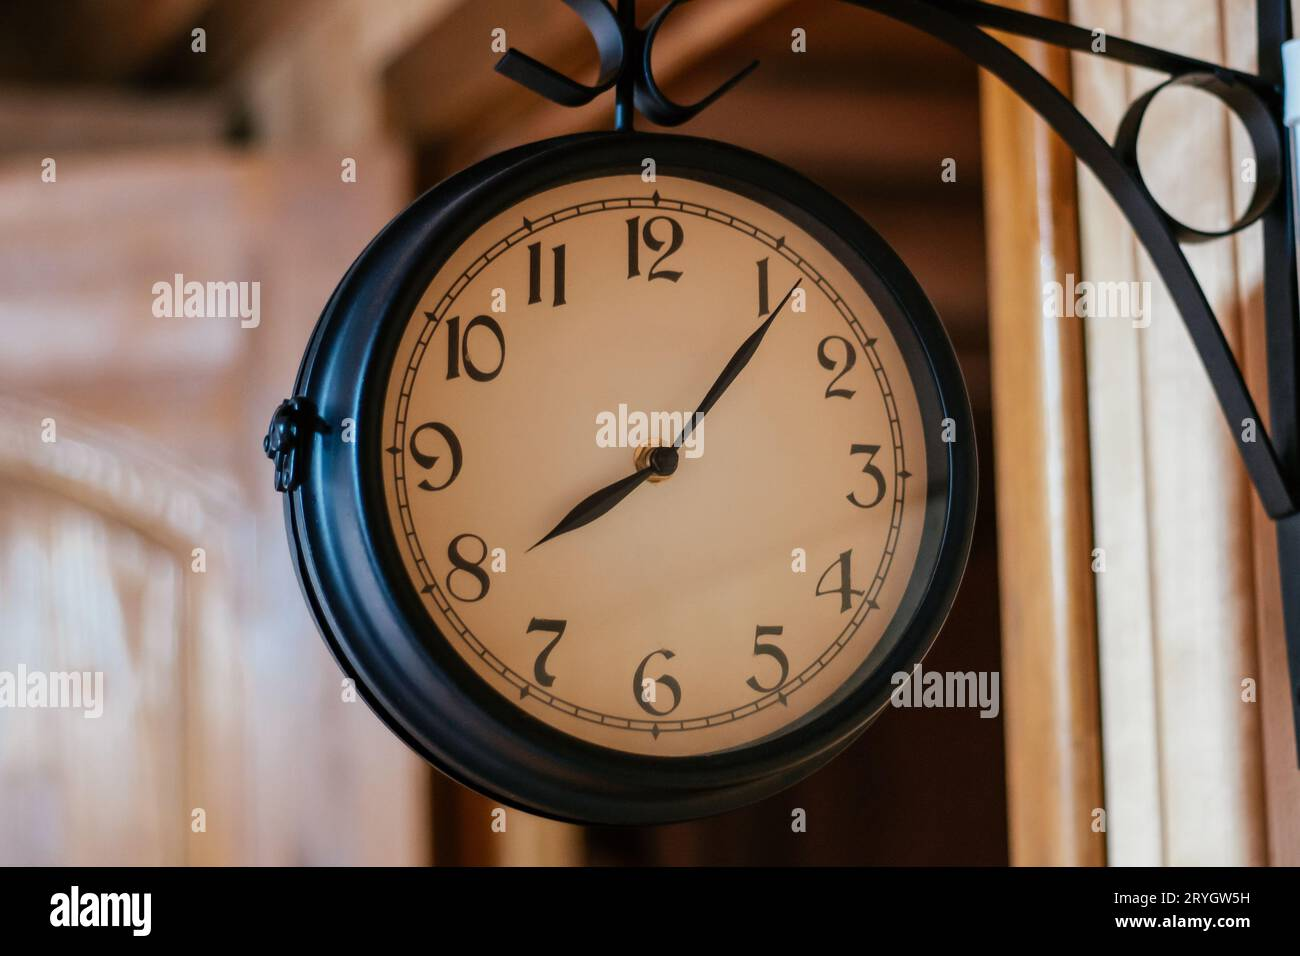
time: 8:06
